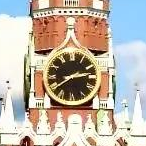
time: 2:39
